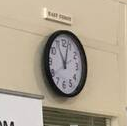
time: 11:02
